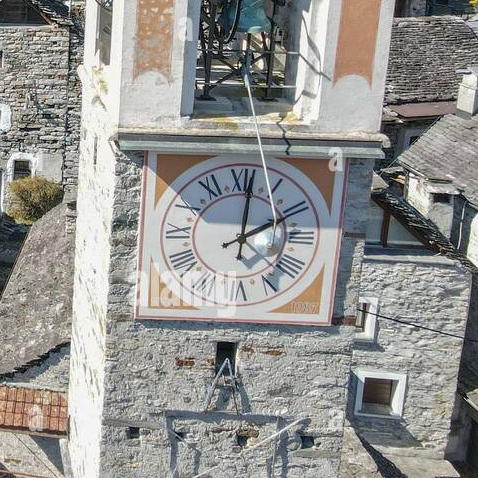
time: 2:01
